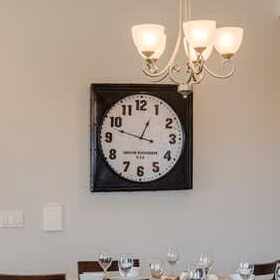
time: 12:47
